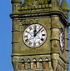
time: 12:07
